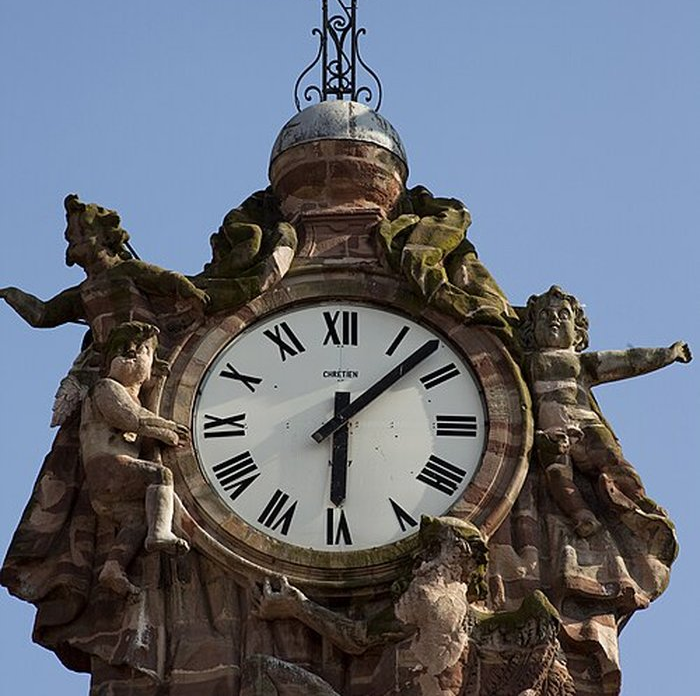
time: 6:07
